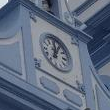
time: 12:05
